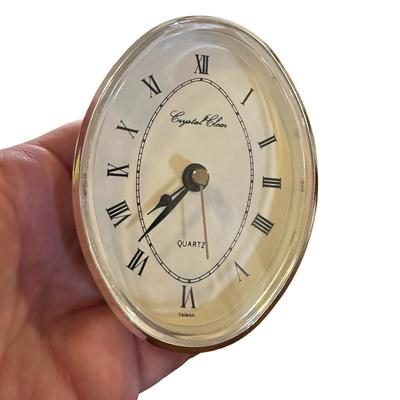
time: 7:36
